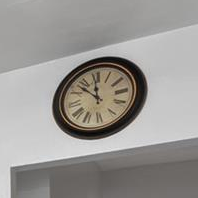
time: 11:52
